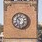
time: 10:32
